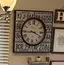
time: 3:44
